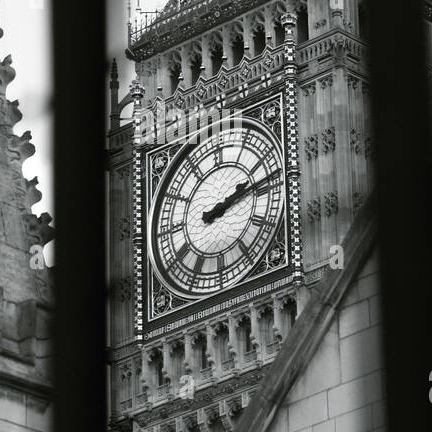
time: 2:13
